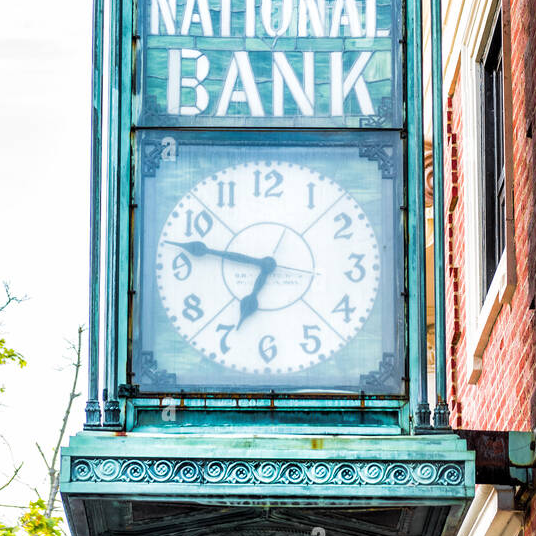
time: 6:47
